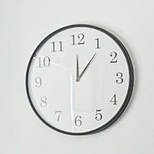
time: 12:06
